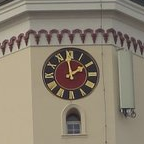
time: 1:59
